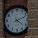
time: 4:11
